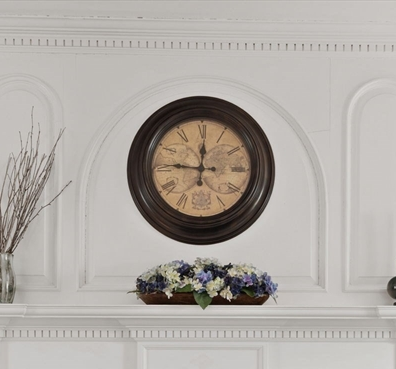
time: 11:46
